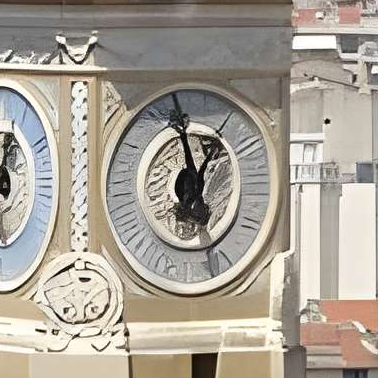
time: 12:57
